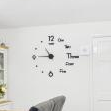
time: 10:45
